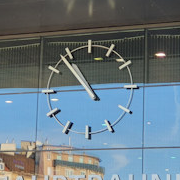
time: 10:53
